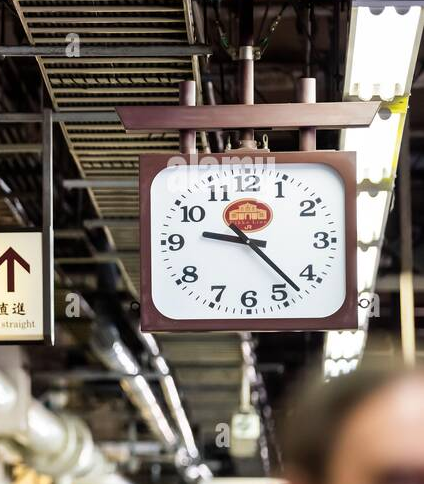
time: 9:22
